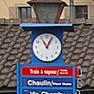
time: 11:04
